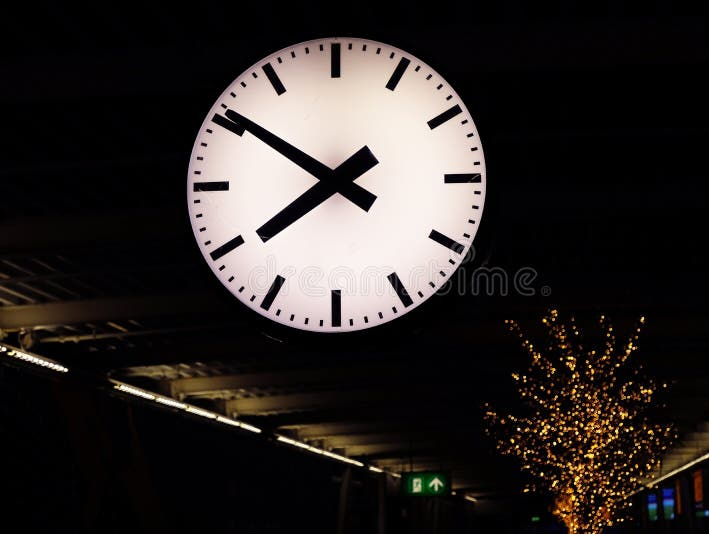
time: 7:50
